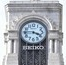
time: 3:45
